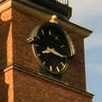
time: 8:16
